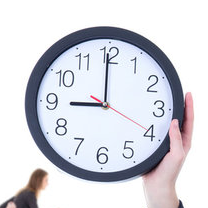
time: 8:59
